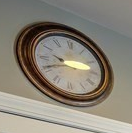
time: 2:40
